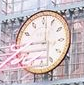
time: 9:01
